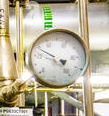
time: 4:49
